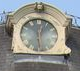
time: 12:28
